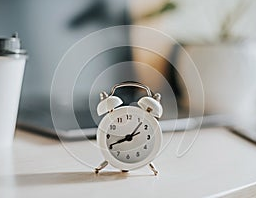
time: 8:07
